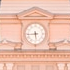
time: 5:43
